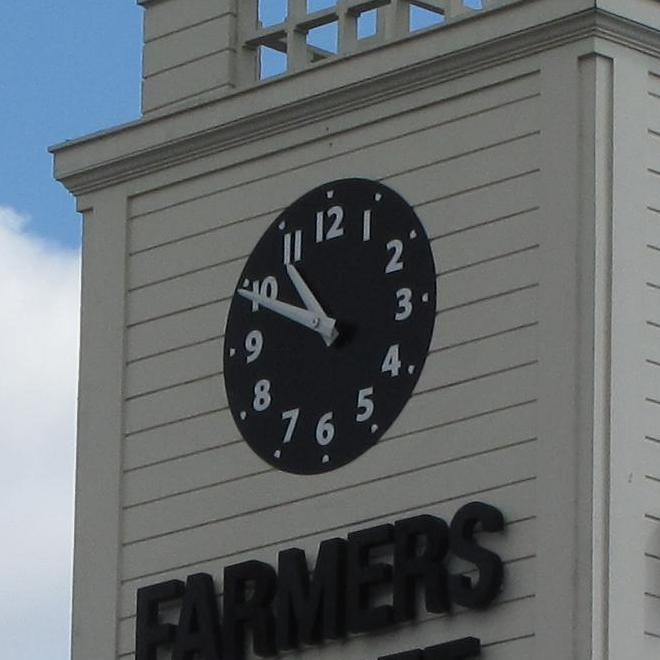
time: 10:49
